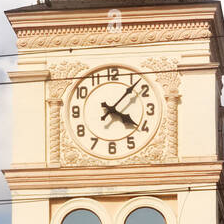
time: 4:07
